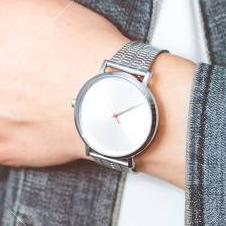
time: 2:11
